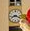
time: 8:18
